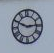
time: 2:49
